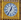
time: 12:35
